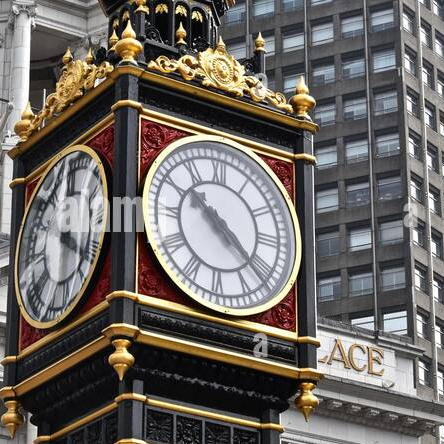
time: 10:21
